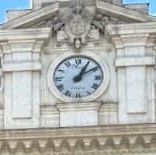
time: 1:09
